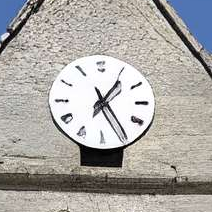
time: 1:24
